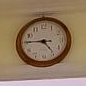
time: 4:45
